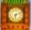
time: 6:11
